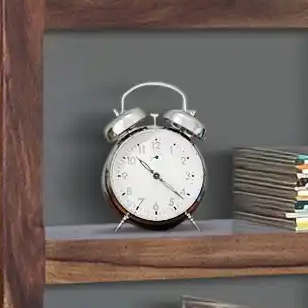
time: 10:21
